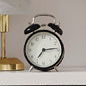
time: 7:14
